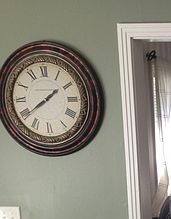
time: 1:39
